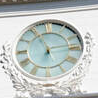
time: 11:13
